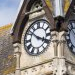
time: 3:51
